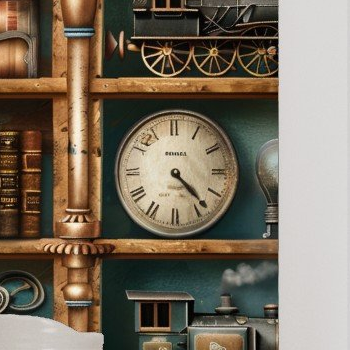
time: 4:22
